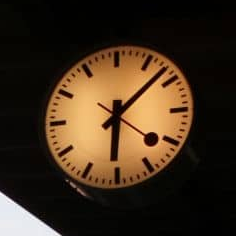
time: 6:08
